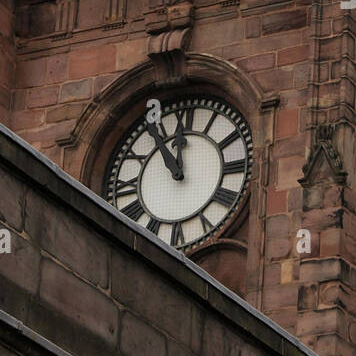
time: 11:54
